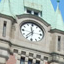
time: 11:36
